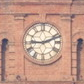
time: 9:11
